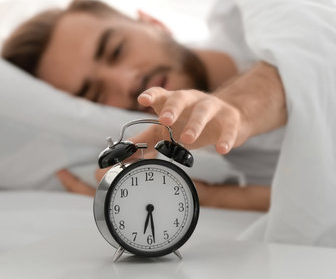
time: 6:28
